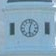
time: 6:03
